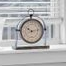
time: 10:13
